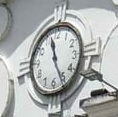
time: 11:25
